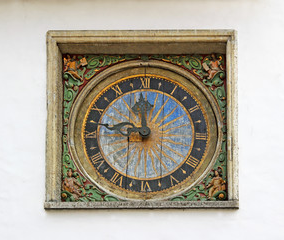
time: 11:46
